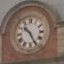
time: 10:25
